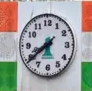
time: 7:39
